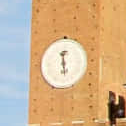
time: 12:28
